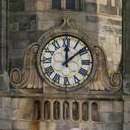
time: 12:08
